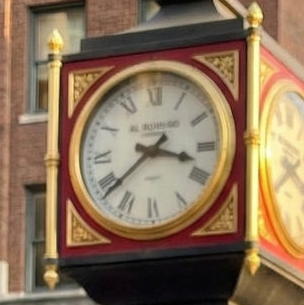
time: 3:38
